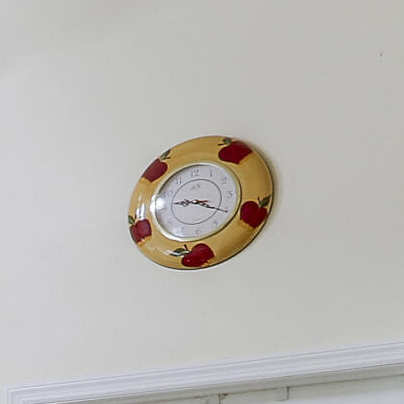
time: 9:20
